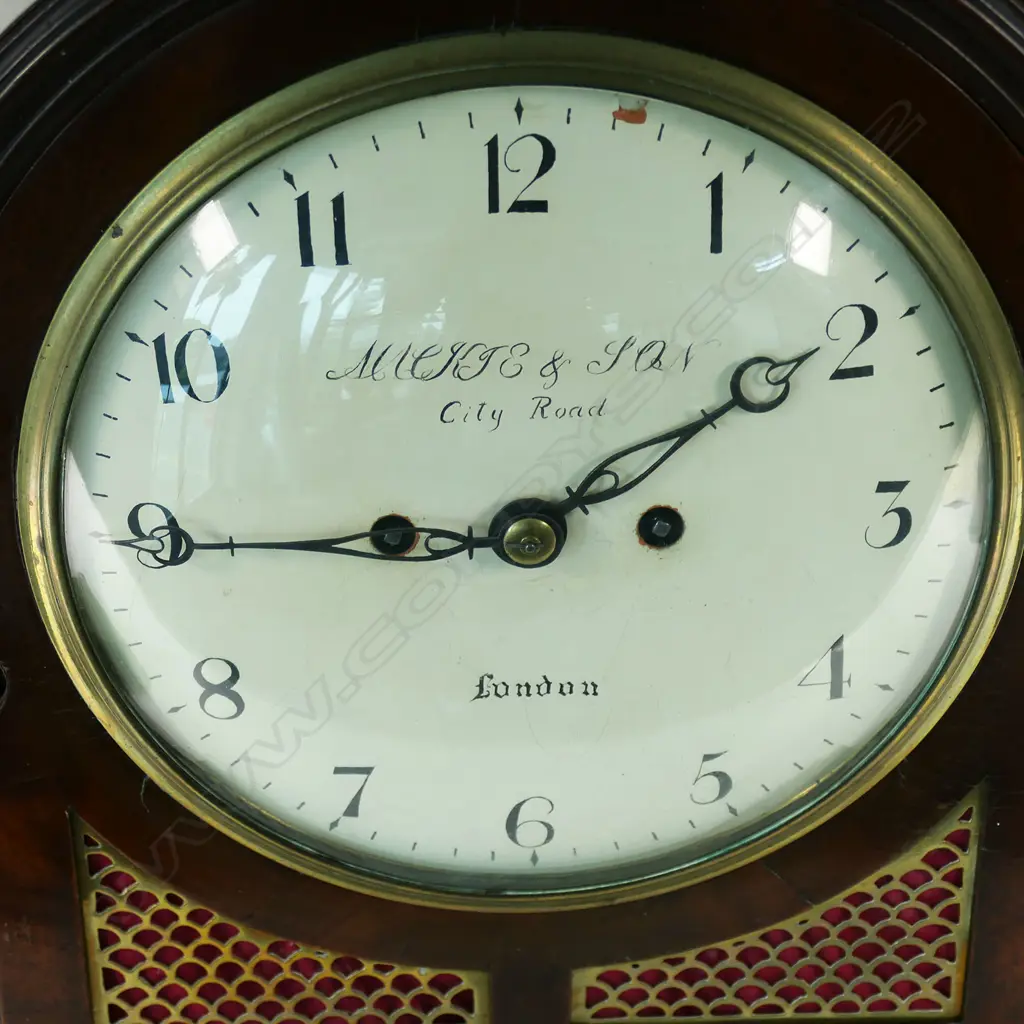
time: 1:44
